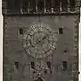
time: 1:40
